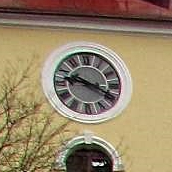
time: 9:19
